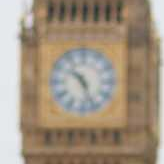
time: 10:26
